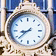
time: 8:38
